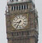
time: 8:35
